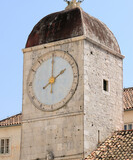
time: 2:01
